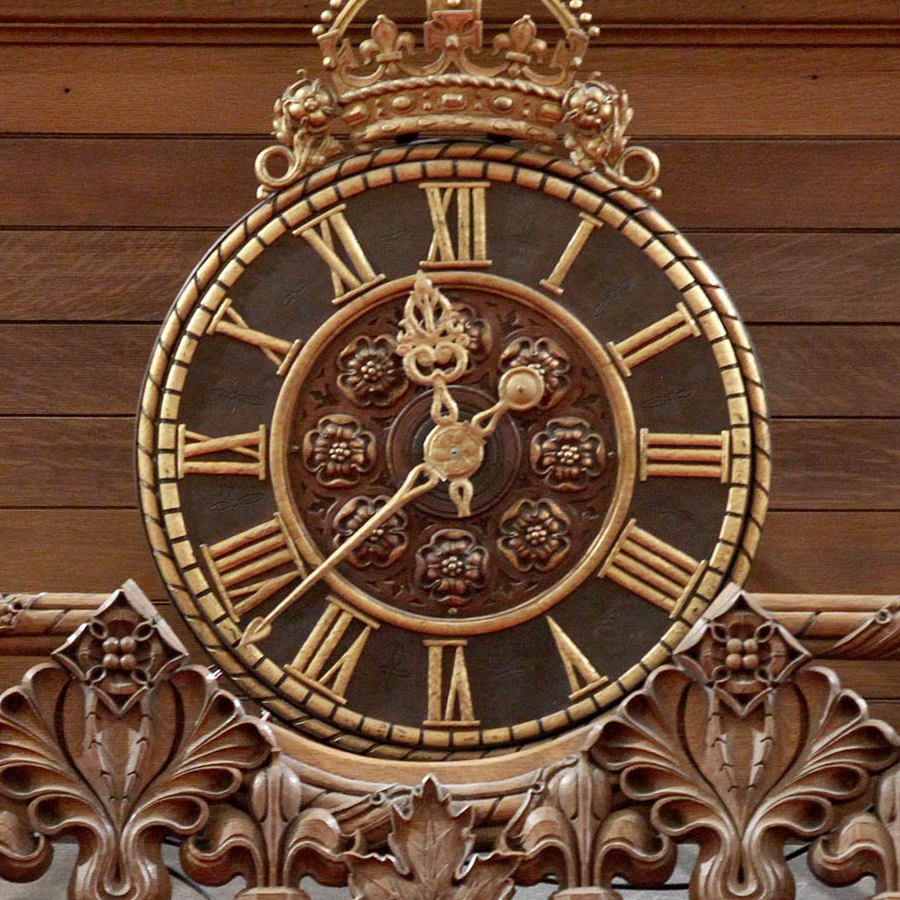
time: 11:37
